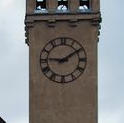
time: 9:09
